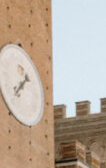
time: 1:37
